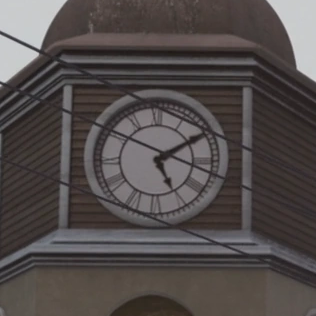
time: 5:09
